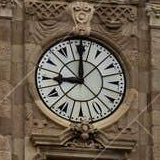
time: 8:59
